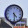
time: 4:29
